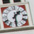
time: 1:30
